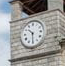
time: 10:30
